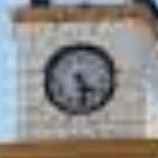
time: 4:28
